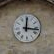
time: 12:16
